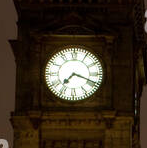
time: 7:18
